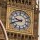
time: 9:41
